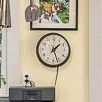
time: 1:26
